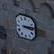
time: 3:13
